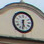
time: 5:31
